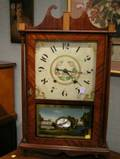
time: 4:16
